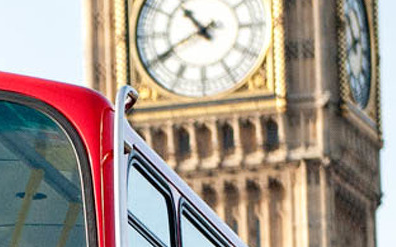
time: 10:40
